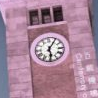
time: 6:05
